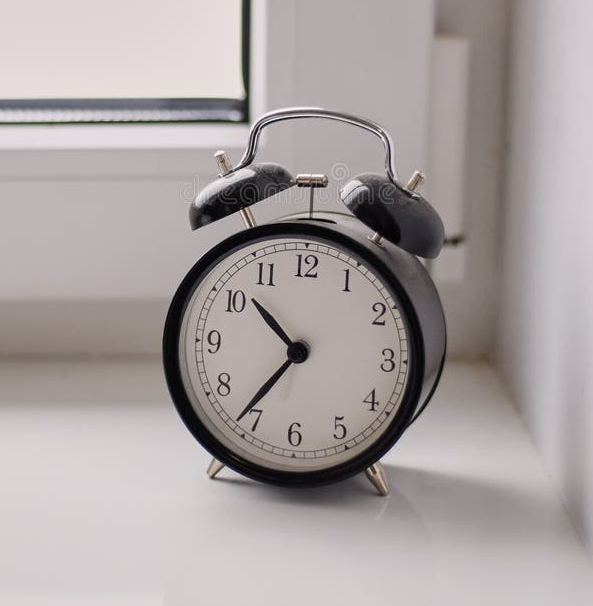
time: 10:36
